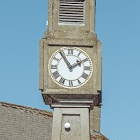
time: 1:54
